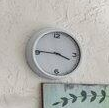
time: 3:45
